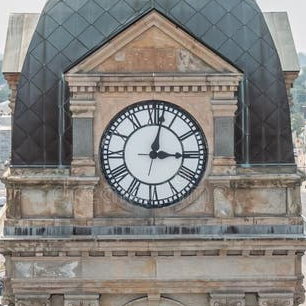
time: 3:02
